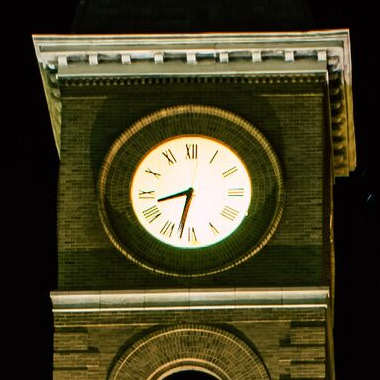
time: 8:32
